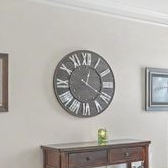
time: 12:20
